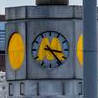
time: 3:23
